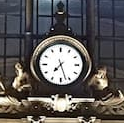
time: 7:27
